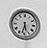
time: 5:32
